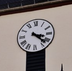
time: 3:22
